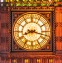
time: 8:17
